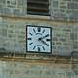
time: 4:10
